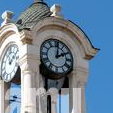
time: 2:01
